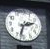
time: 2:32
